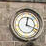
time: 12:18
